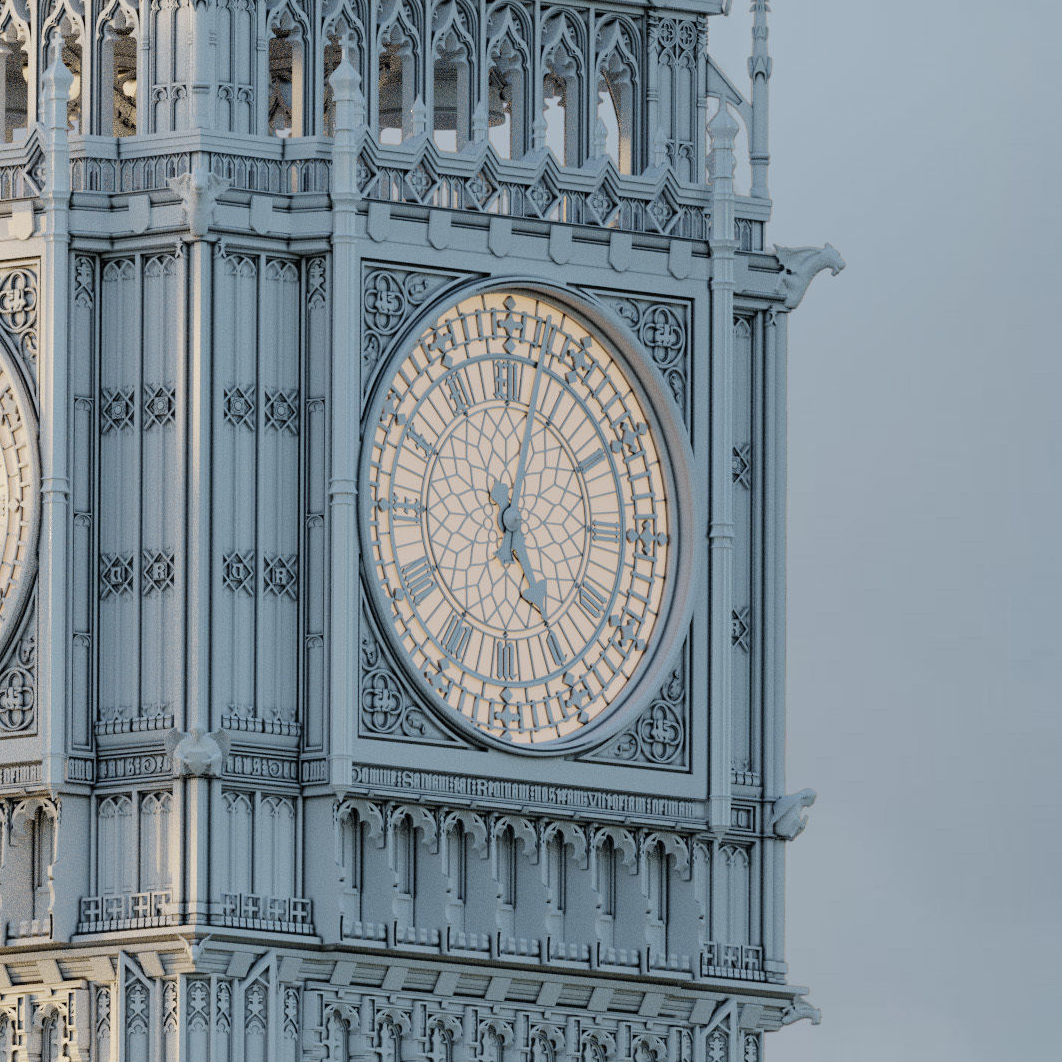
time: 5:02
